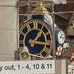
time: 1:16
